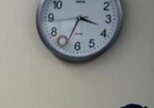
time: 3:34
